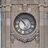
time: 4:52
